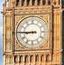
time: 8:45
